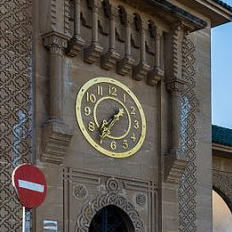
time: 1:36
